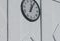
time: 12:04
